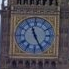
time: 11:25
